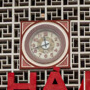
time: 11:42
